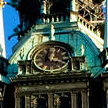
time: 12:19
